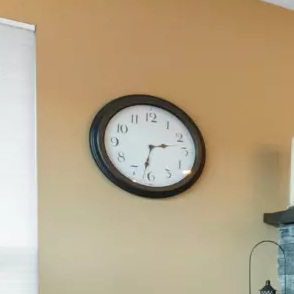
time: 2:31
